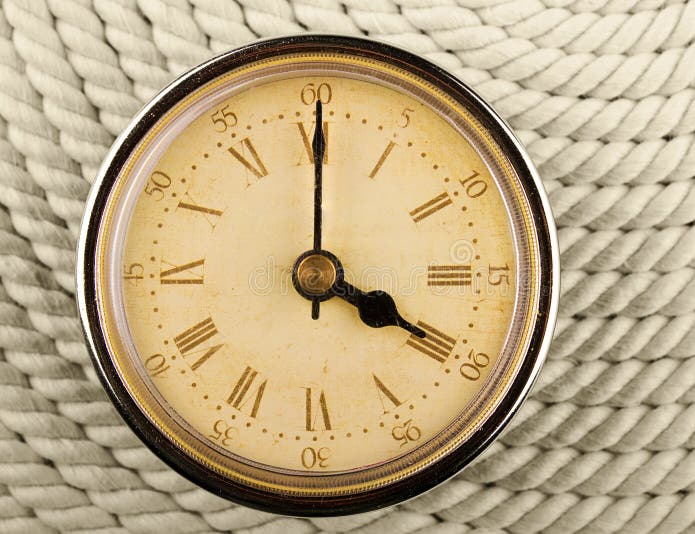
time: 4:00
